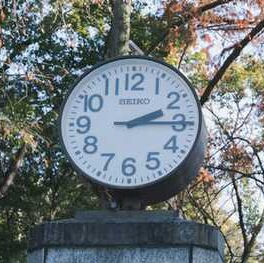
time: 2:15
